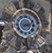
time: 3:12
